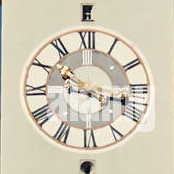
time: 10:17
